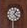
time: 1:22
